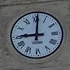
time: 9:01
